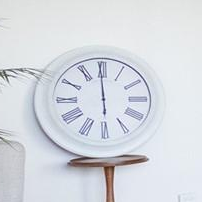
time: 5:59
